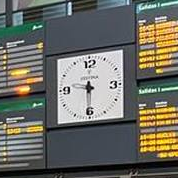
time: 9:30
